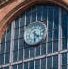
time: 4:29
